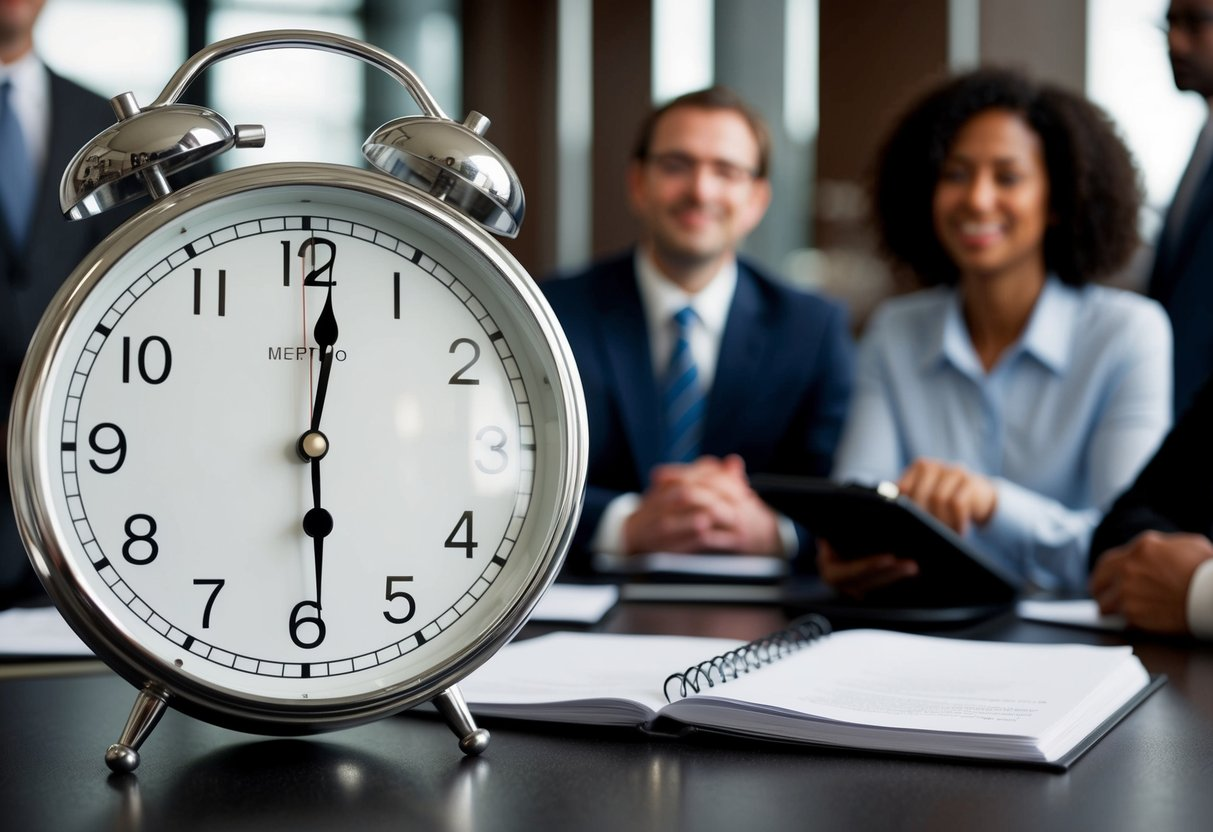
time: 6:01
